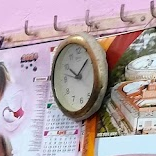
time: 10:07
